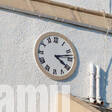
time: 4:12
